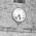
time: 5:38
